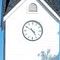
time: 4:50
